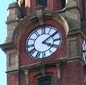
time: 4:09
